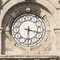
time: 3:29
